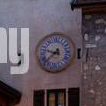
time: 9:38
